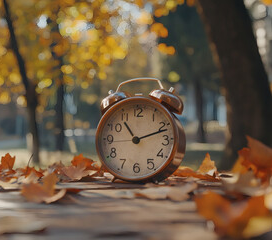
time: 11:11
